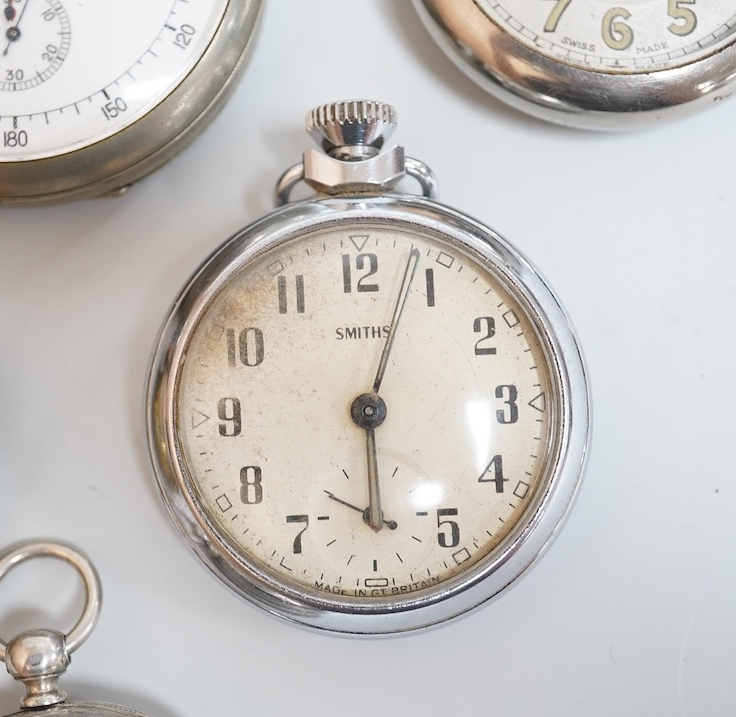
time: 6:03
